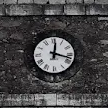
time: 12:17
